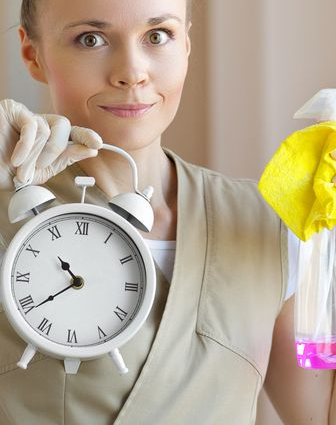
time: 10:38
